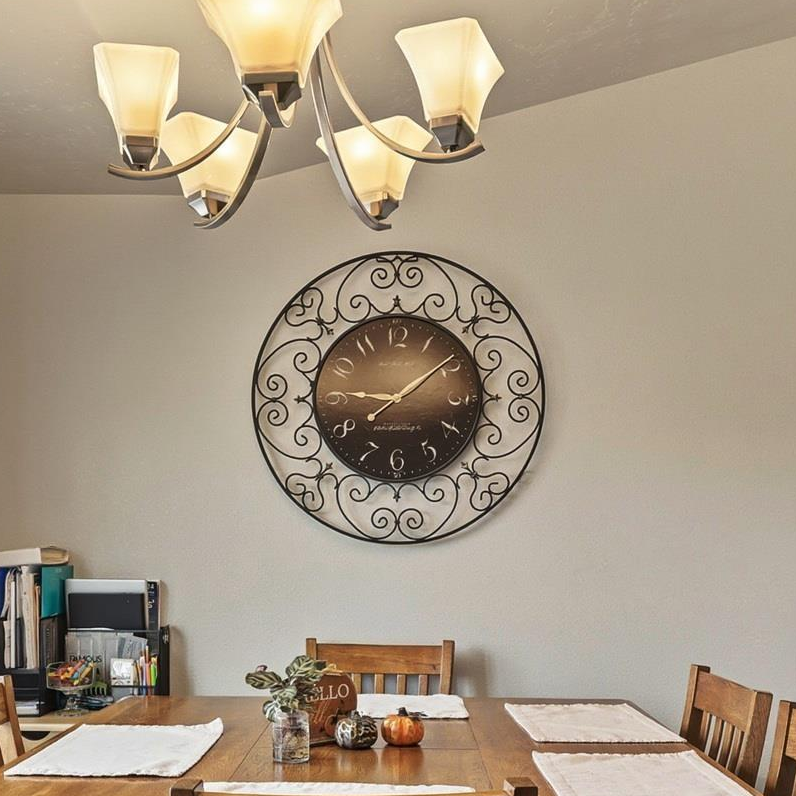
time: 9:08
